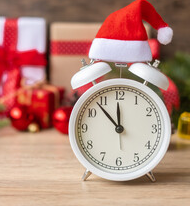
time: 11:53
